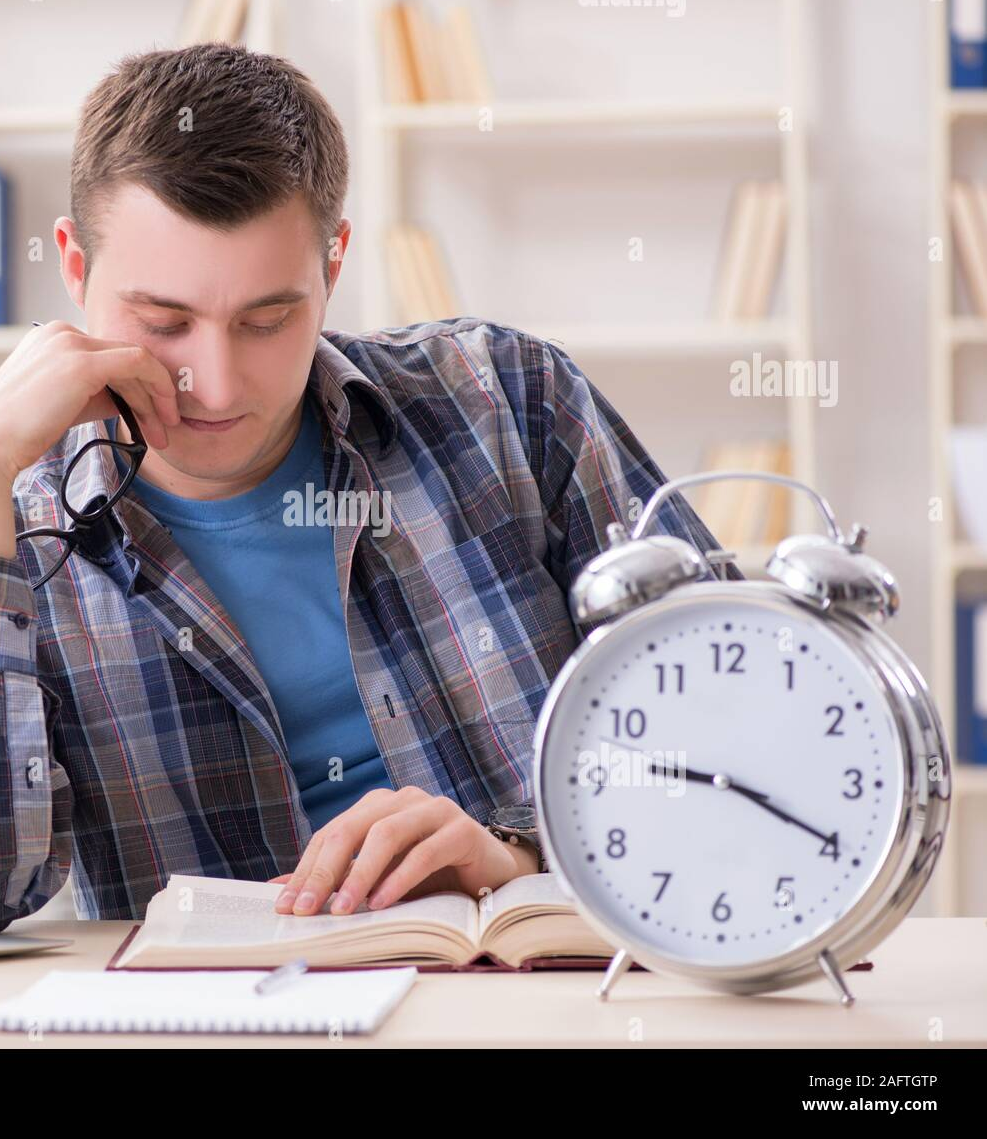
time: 9:19
